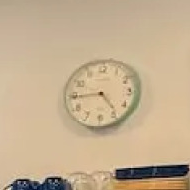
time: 4:44
